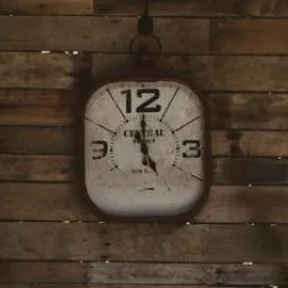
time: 4:59
